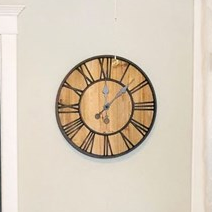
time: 12:08
